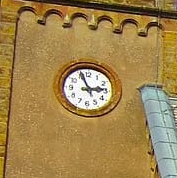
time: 2:56
